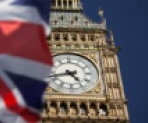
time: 4:42
